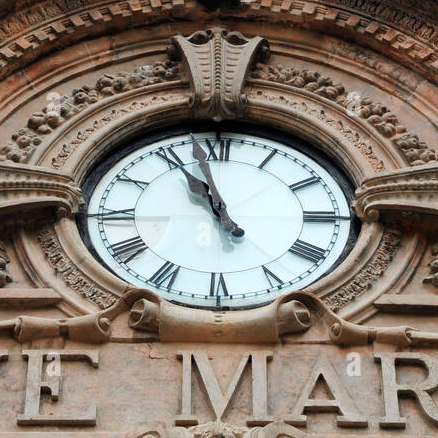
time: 10:57
